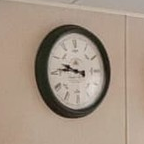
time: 9:45
